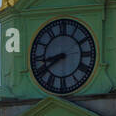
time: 8:39
